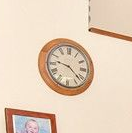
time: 9:21
